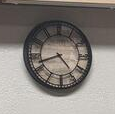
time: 4:42
